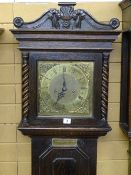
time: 7:00
